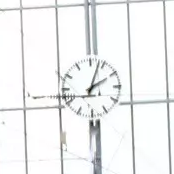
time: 2:03
